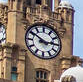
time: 2:50
